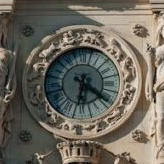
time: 6:20
